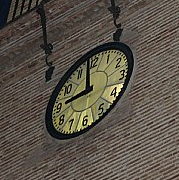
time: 8:58
